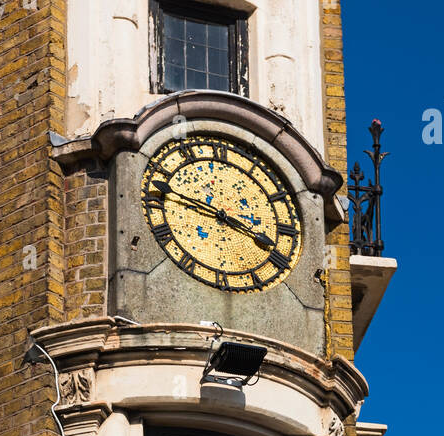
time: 3:47
